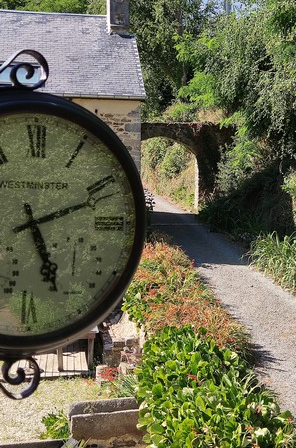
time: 5:11
